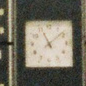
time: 11:08
